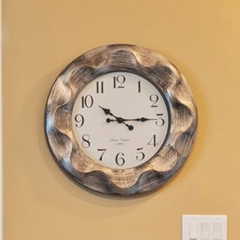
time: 10:14
